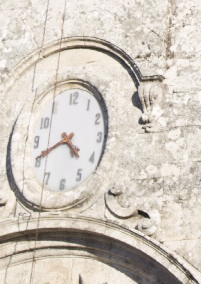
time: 4:40
